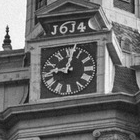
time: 9:01
